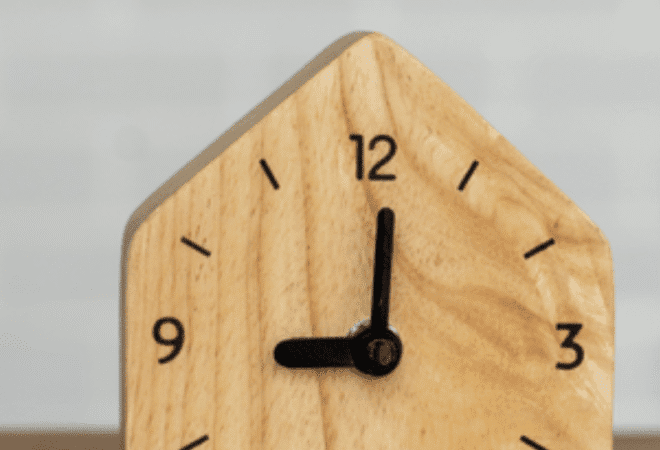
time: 9:01
